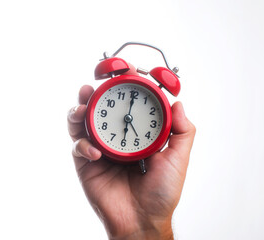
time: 6:00
